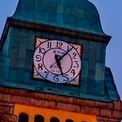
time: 5:06
